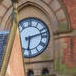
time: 6:12
